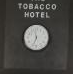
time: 11:33
